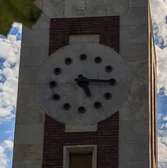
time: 5:15
